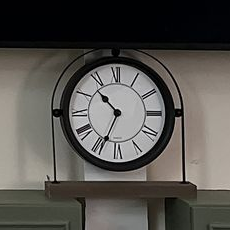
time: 10:34
